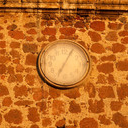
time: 7:04
